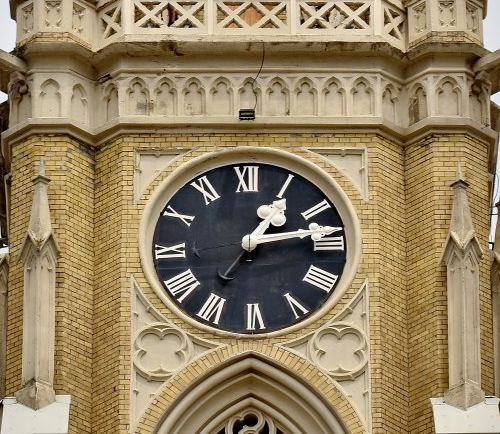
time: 1:13
